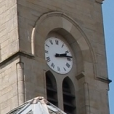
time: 2:13
